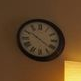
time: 10:21
